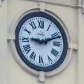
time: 9:11
